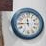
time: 11:44
